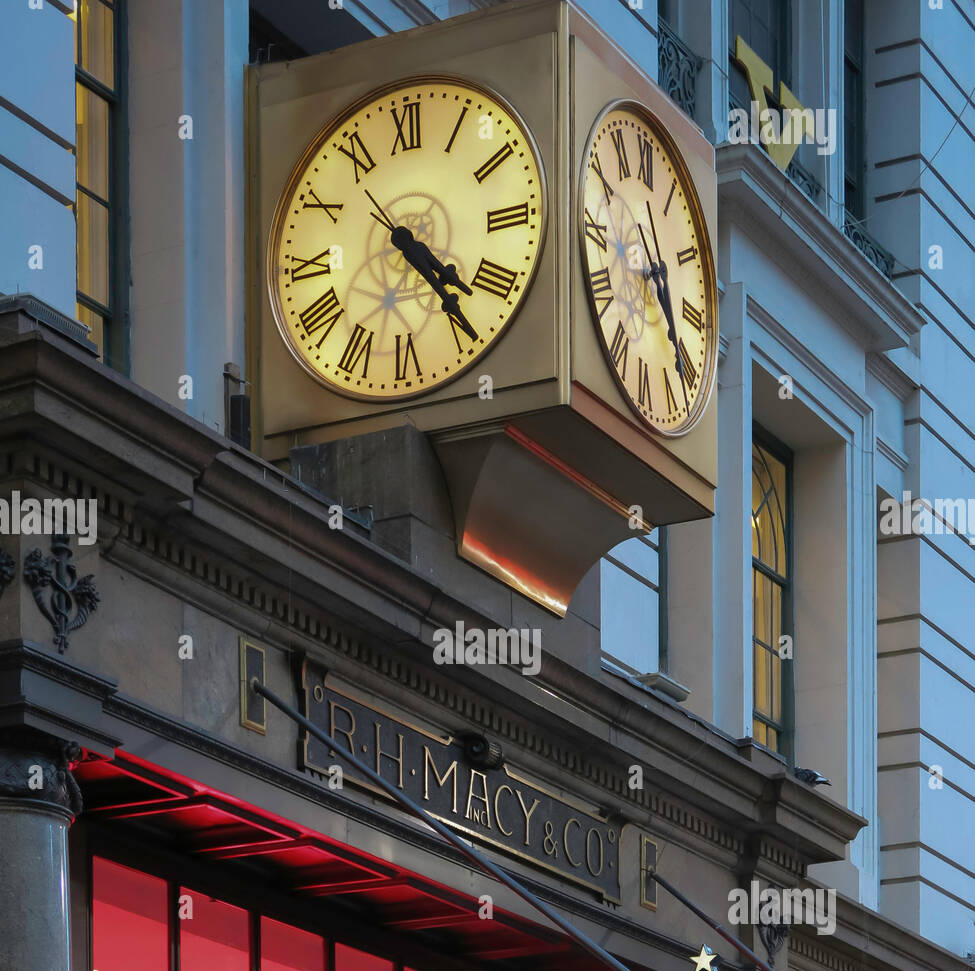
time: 4:23
